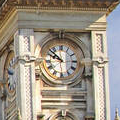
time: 9:51
